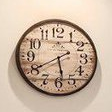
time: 5:40
